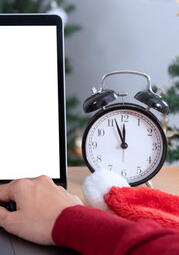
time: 11:56
